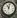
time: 11:02
